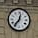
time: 12:36
